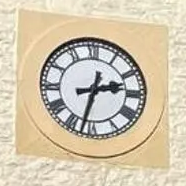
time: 2:32
